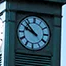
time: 9:52
